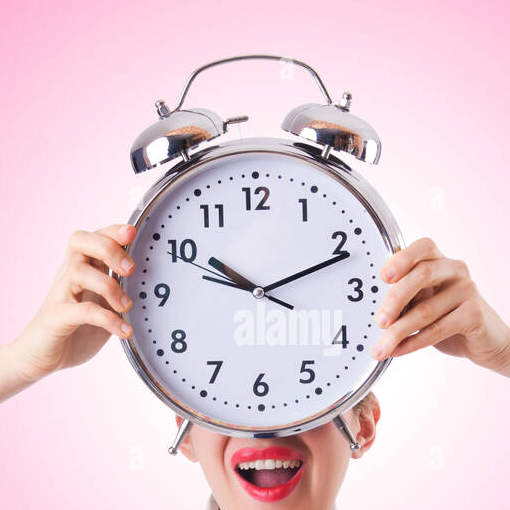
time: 10:11
